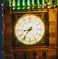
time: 8:36
